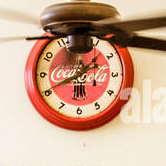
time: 1:41
